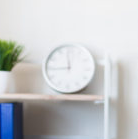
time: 11:44
